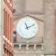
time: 11:10
